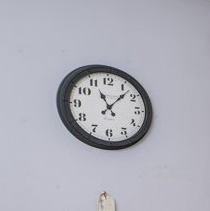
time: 11:07
